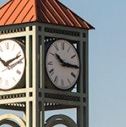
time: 10:15
